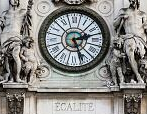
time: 2:26
